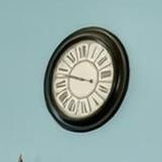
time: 9:48
